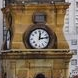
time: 12:13
